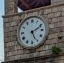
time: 5:11
